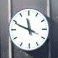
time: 11:48
